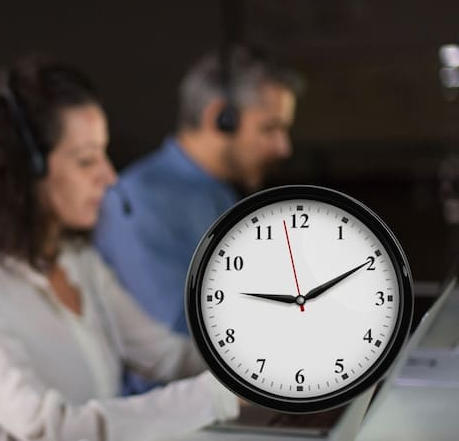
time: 9:10
